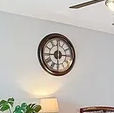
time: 5:59
